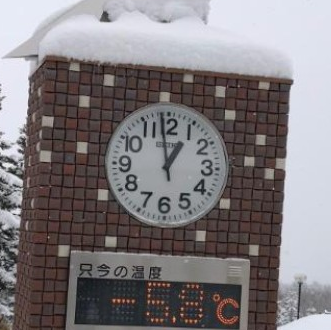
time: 12:58
